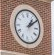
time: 1:09
